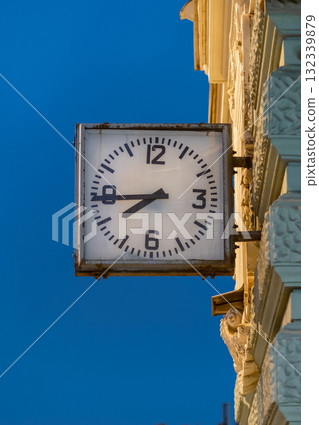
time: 7:44
